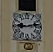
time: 9:12
